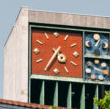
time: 4:35
